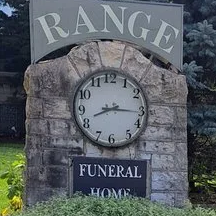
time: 8:16
